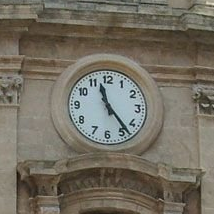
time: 11:23
